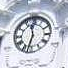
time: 11:32
